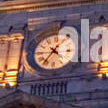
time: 4:36
